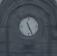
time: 11:25
